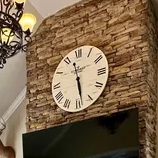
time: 11:28
